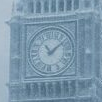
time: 11:08
